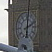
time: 6:00
